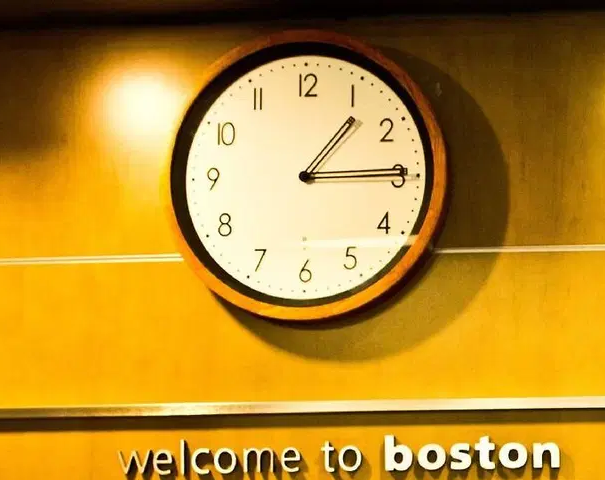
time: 1:14
